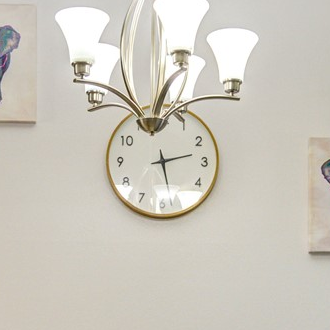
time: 2:27
